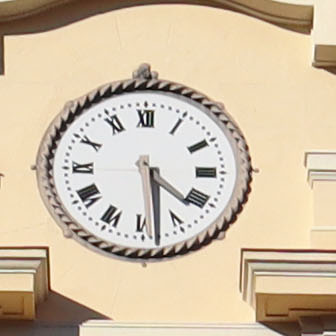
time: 4:28
